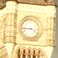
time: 3:44
